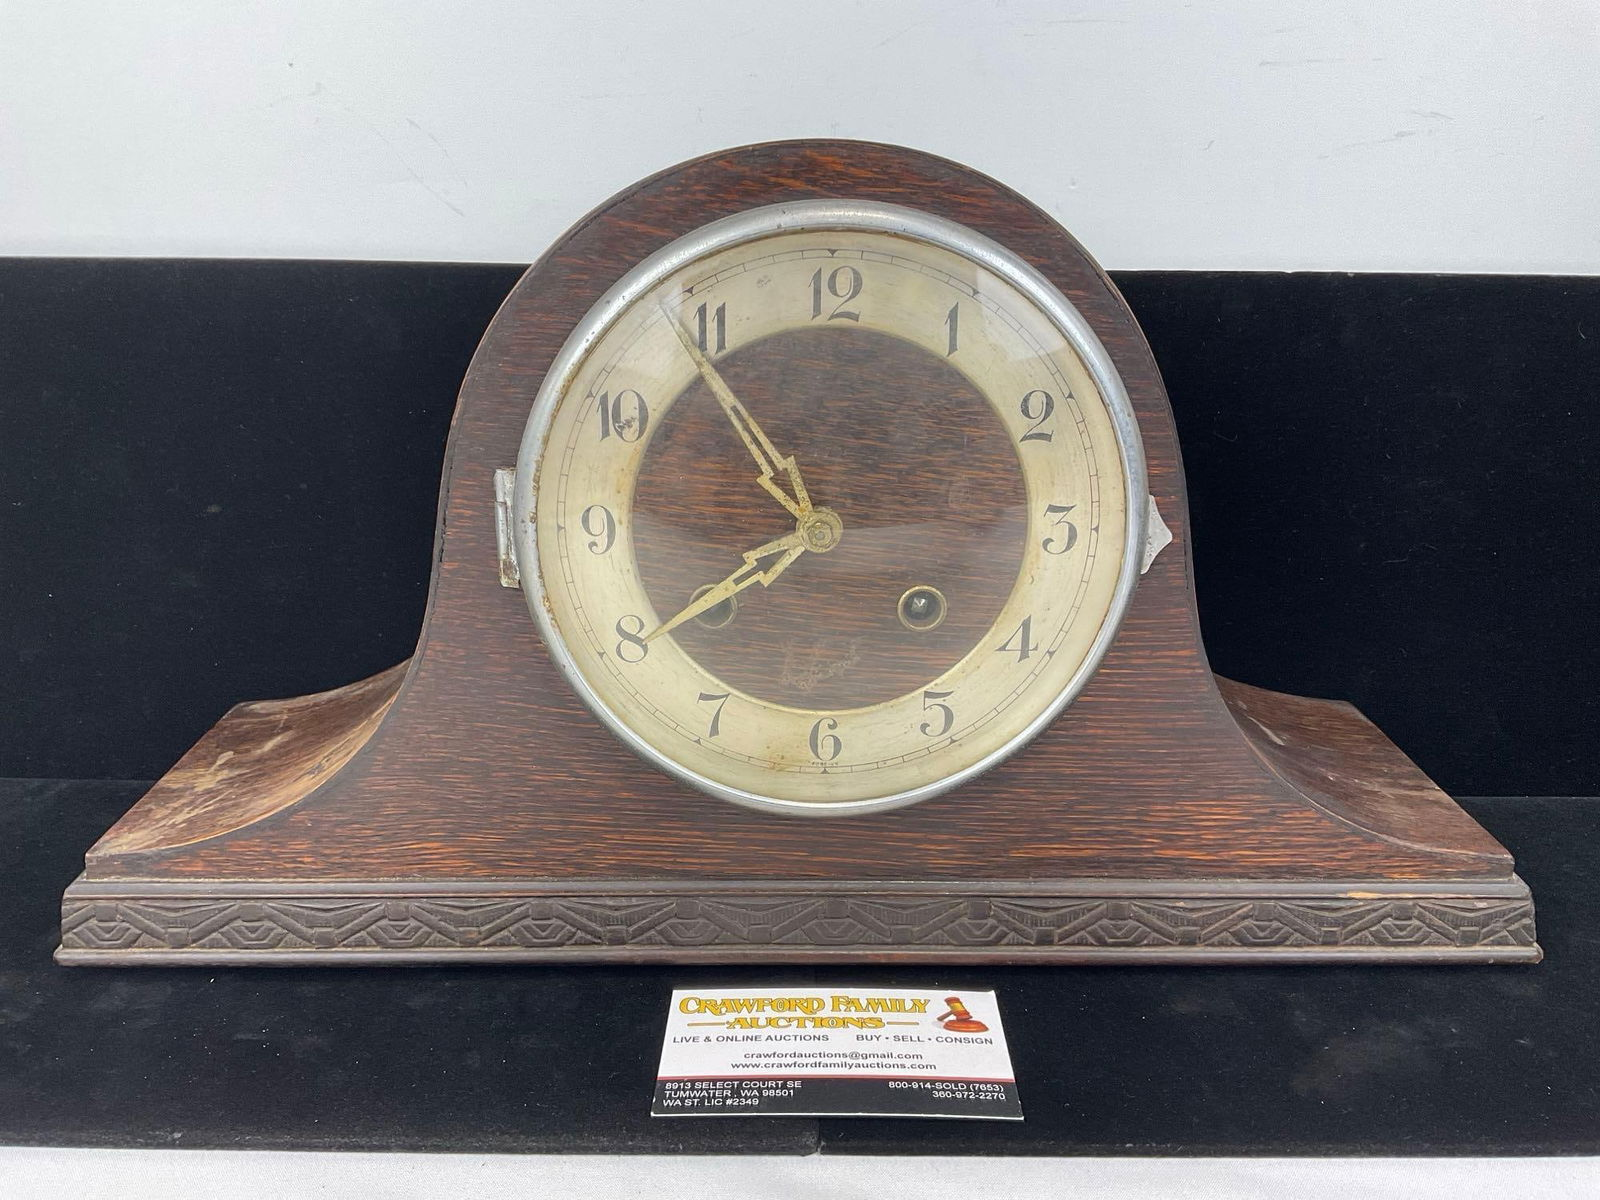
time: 7:54
